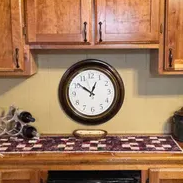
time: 12:51
